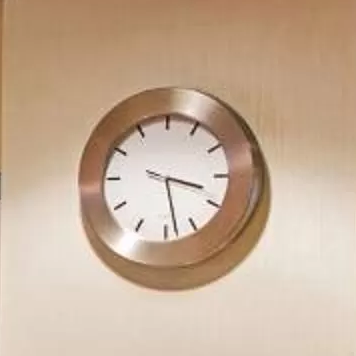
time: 3:28
